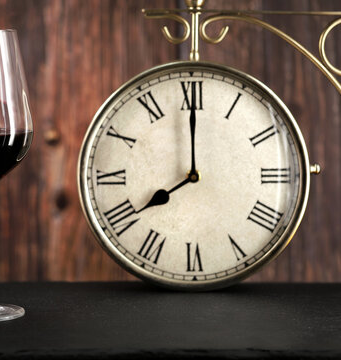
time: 7:59
